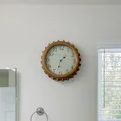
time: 1:32
